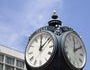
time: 12:07
